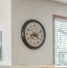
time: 8:20
